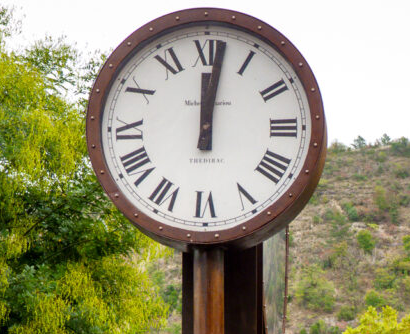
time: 12:01
